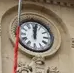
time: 12:01
